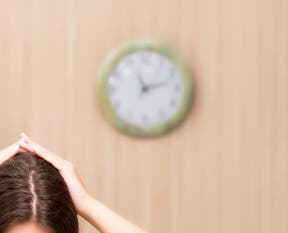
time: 11:12
